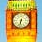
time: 6:32
